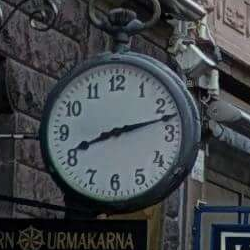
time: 8:12
